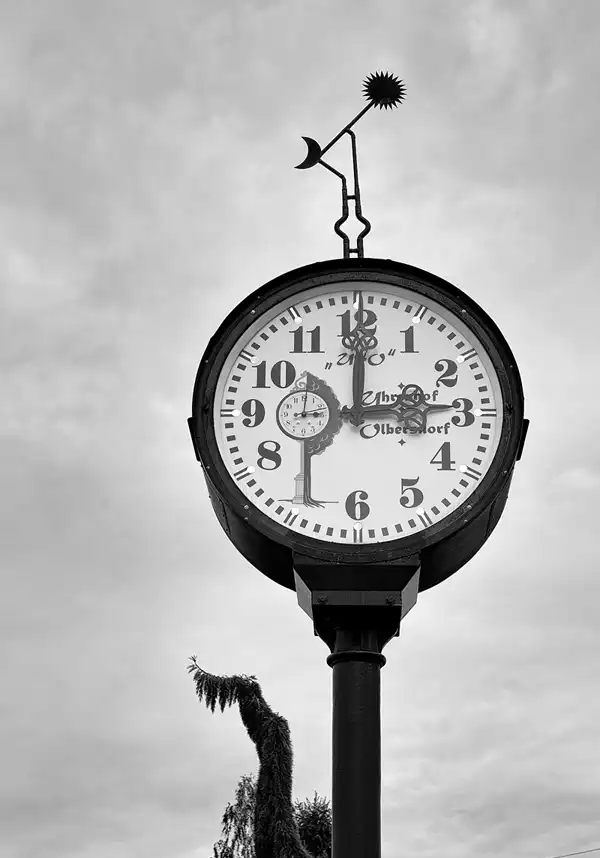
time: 2:59
